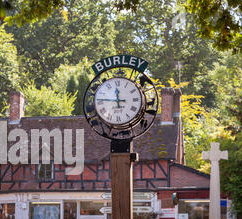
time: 11:46
